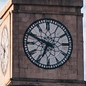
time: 6:48
